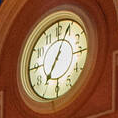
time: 7:04
